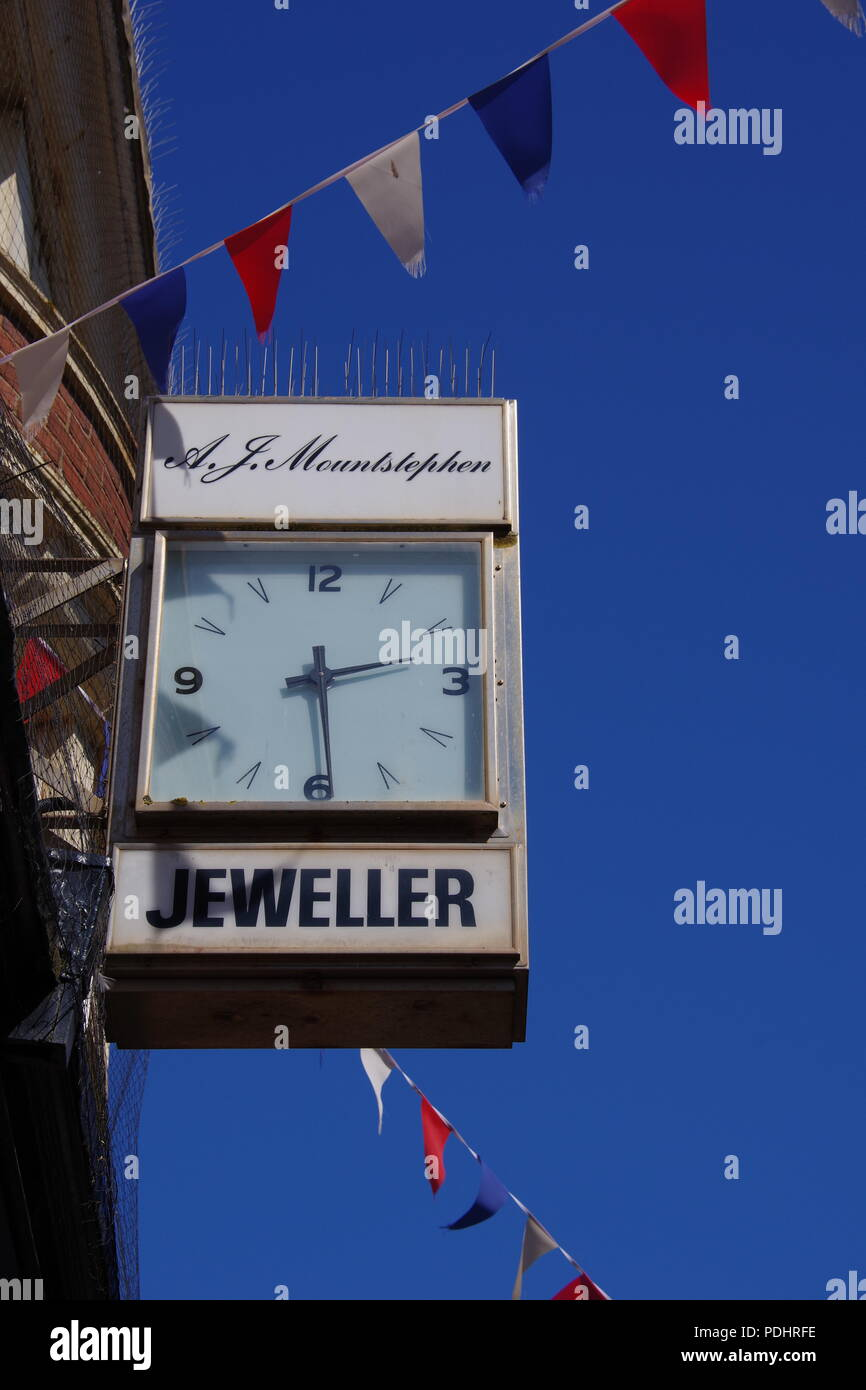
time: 2:29
